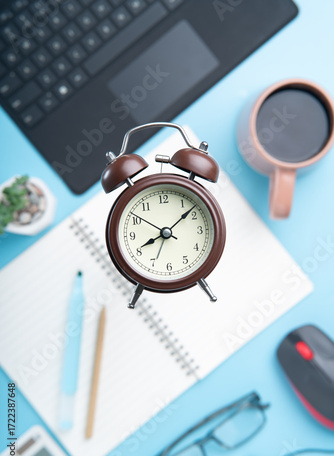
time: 8:08
